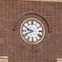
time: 9:41
